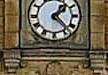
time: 1:22
